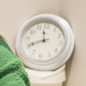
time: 11:40
